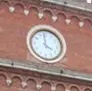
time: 3:58
